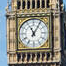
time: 11:05
